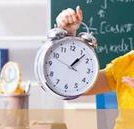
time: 1:06
